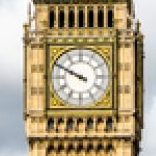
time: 9:49
